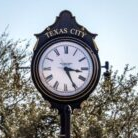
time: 3:25
